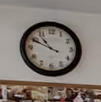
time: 10:49
